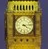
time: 4:13
